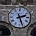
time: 2:26
